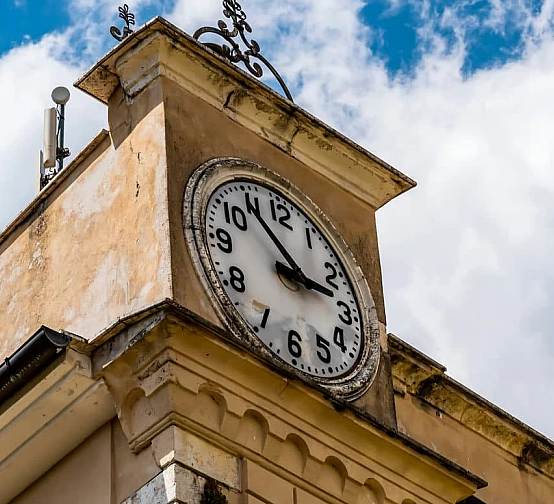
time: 2:53
